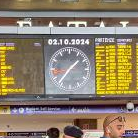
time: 1:36
